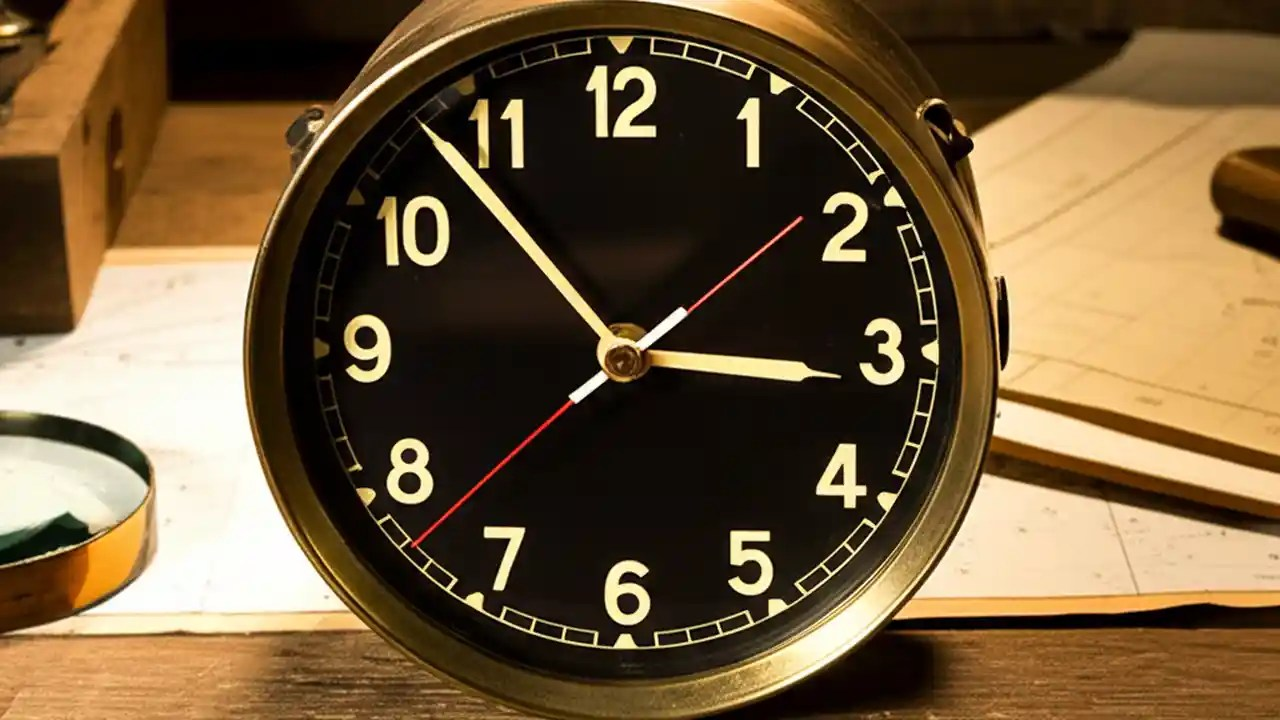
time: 2:53
